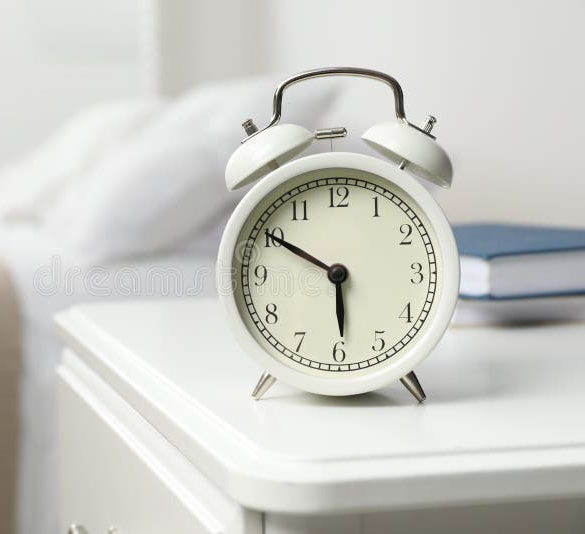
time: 5:50
